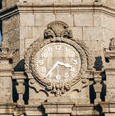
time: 3:36
